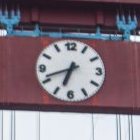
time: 6:41
